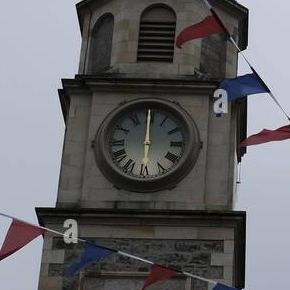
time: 11:59
